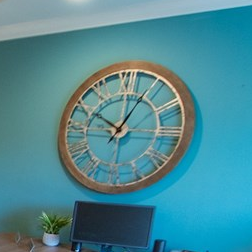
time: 10:00
